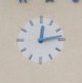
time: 12:13
